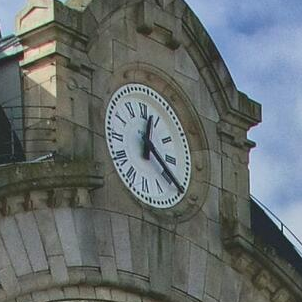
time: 12:20
